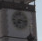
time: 7:15
